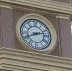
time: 8:12
